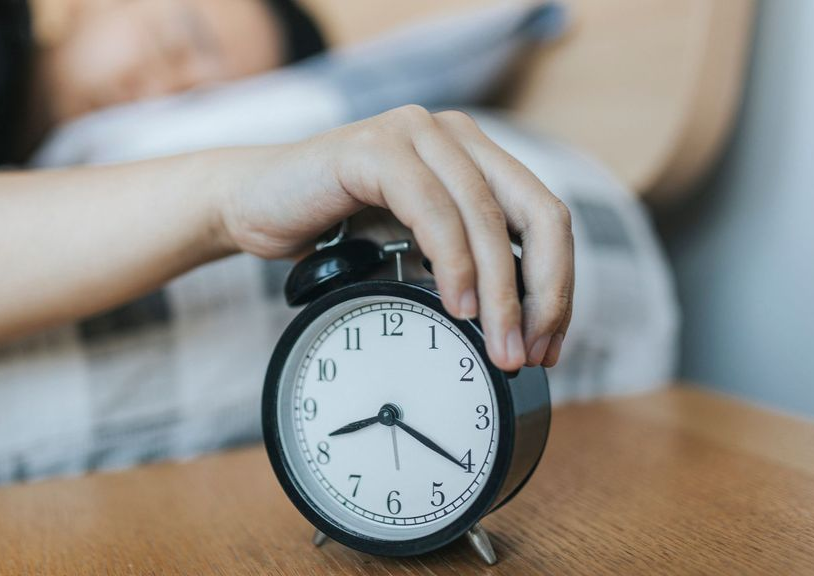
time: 8:20
